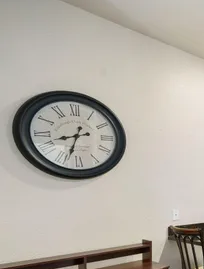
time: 8:33
